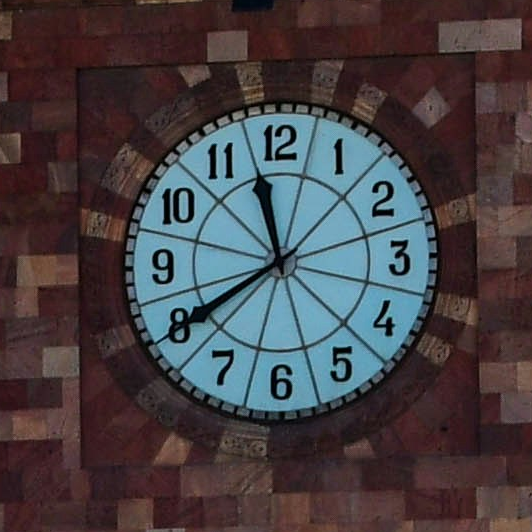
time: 11:40
